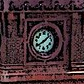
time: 1:39
